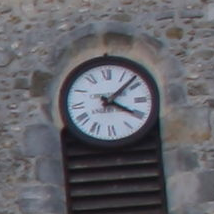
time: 4:07
